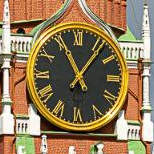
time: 11:06
